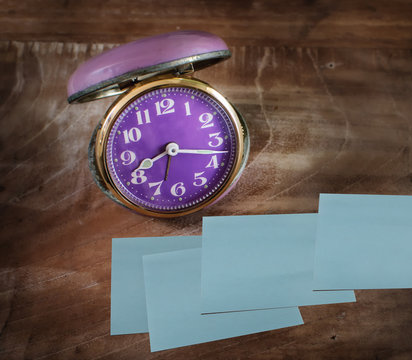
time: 8:17
